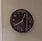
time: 12:38
